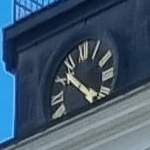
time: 10:22
